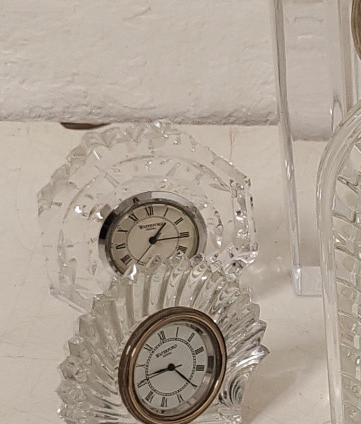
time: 1:13
